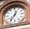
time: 12:36
